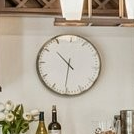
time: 10:30
